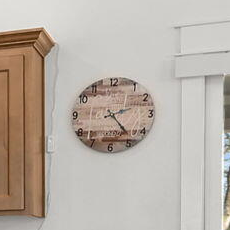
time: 2:23
